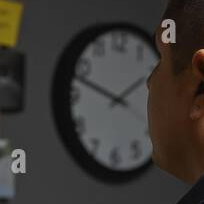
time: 1:47
